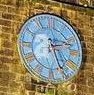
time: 2:26
